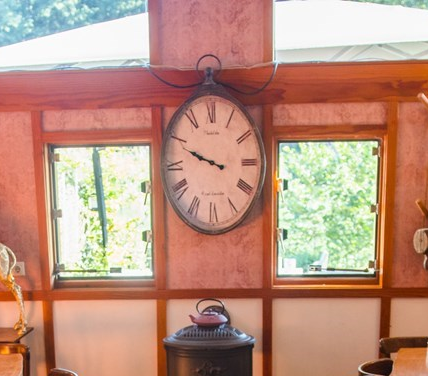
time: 9:48
